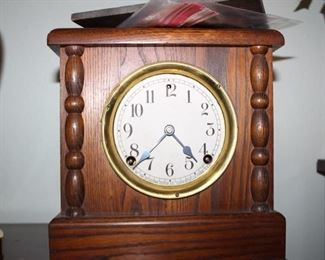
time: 4:38
